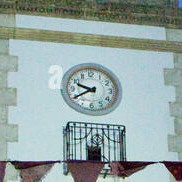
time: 9:40
